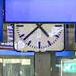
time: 4:37
